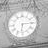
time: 6:14
